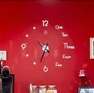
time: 4:33
